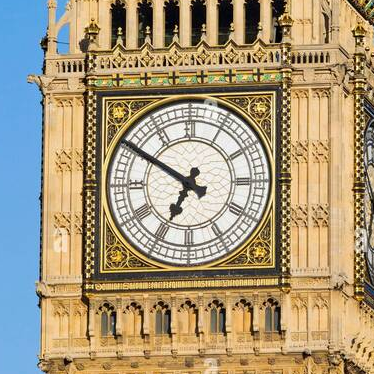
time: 6:50
